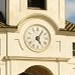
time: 5:05
